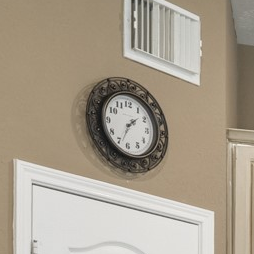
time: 1:33
